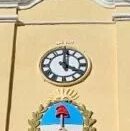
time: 4:00
